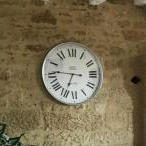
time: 6:46
